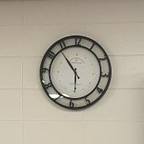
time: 5:53
